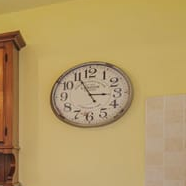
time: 2:55
